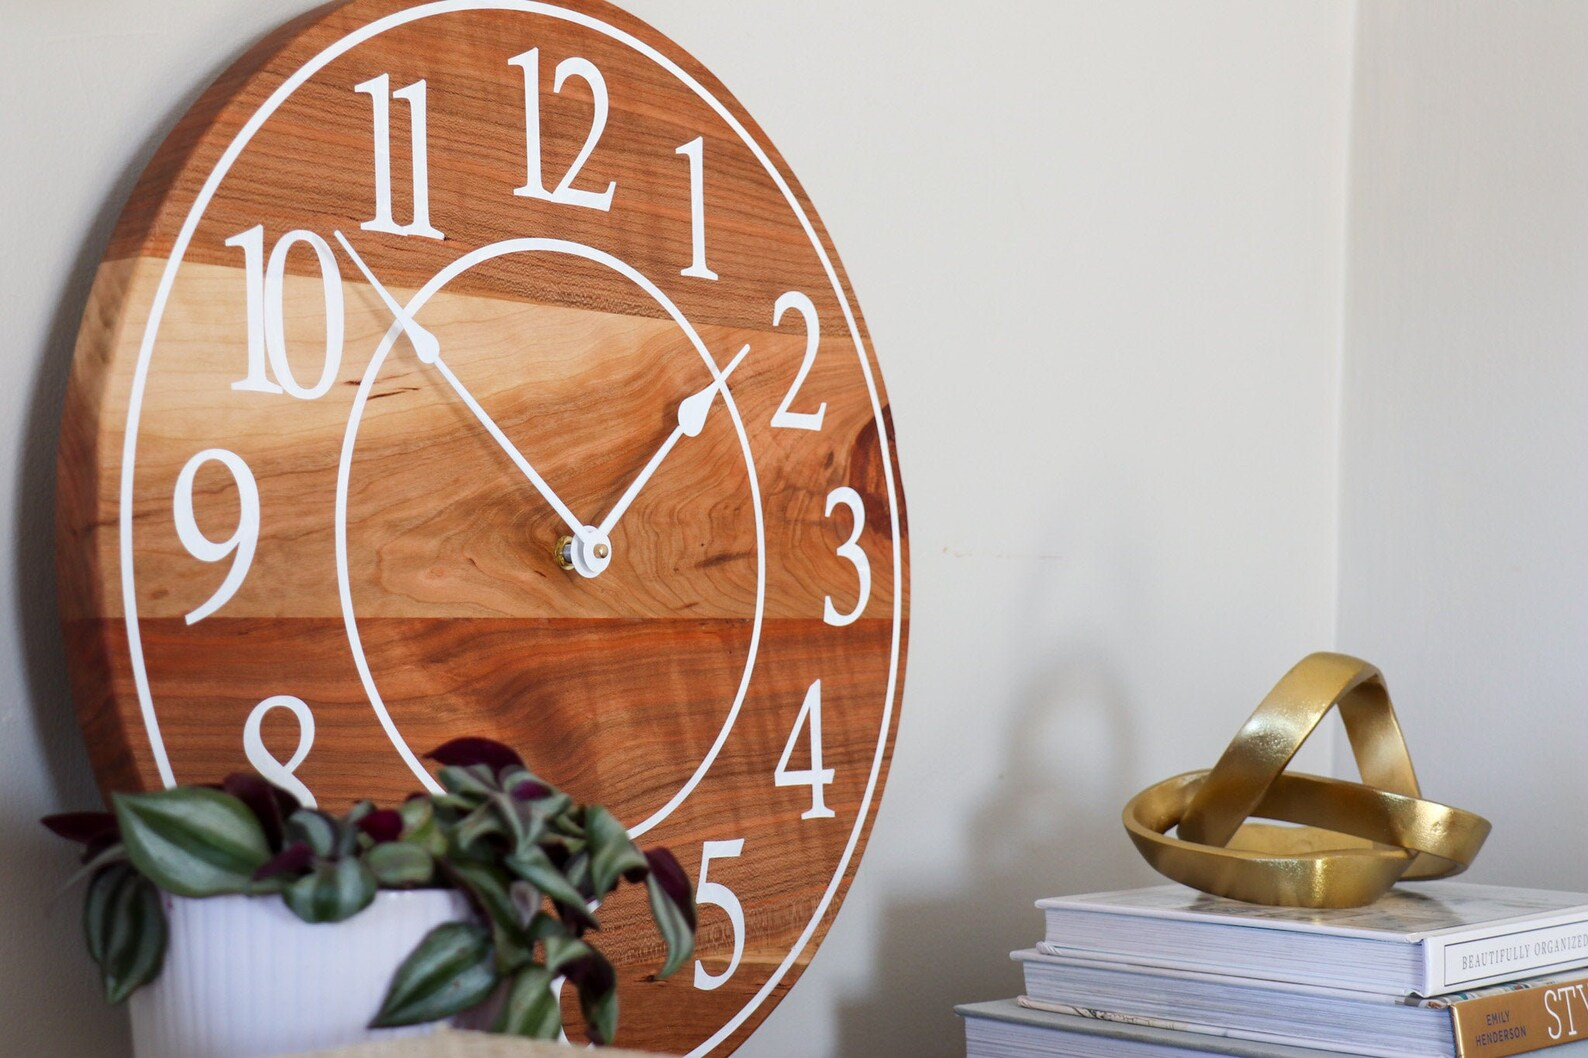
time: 1:52
